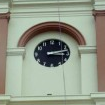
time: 3:12
